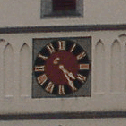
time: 4:24
